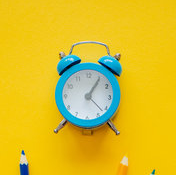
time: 1:05
